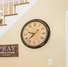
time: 9:37
